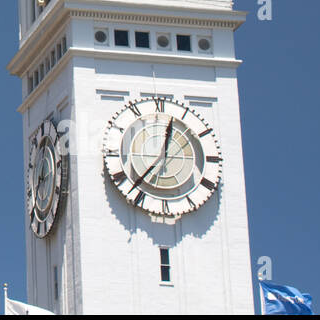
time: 12:37
